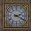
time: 2:19
